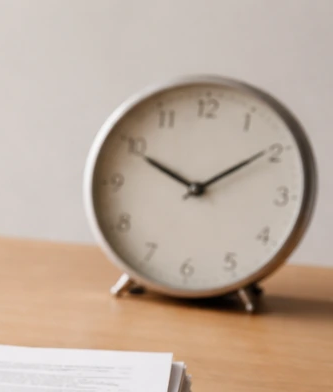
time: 1:49
